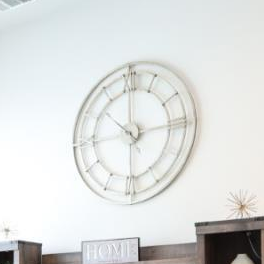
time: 10:14
